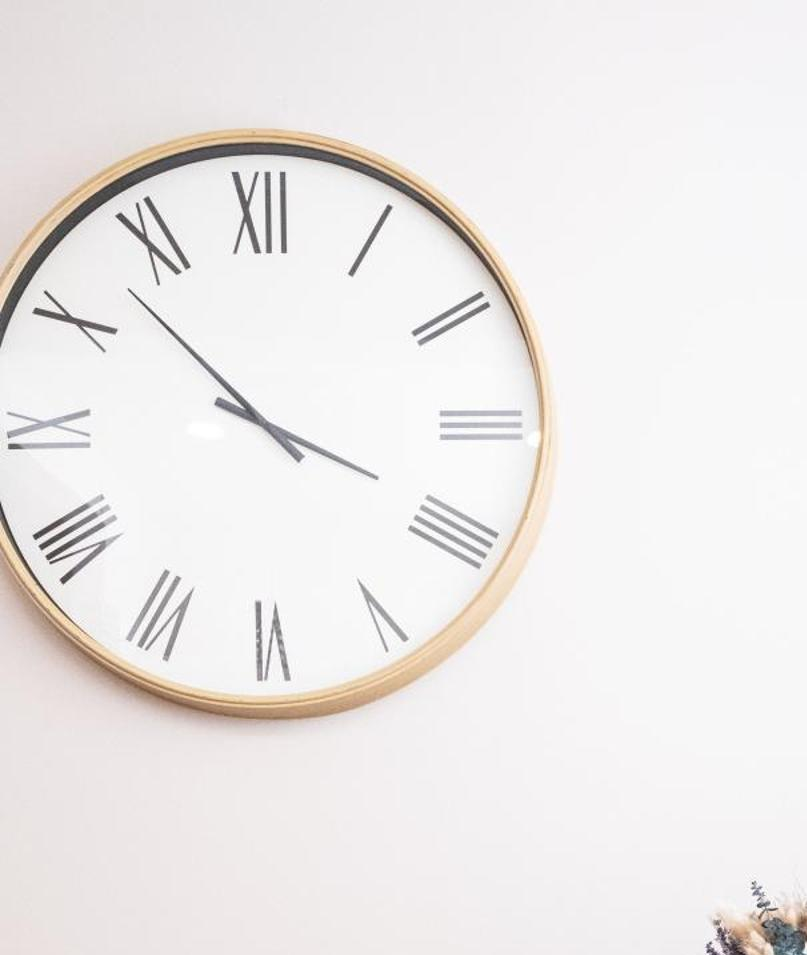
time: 3:52
